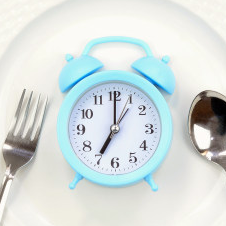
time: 7:00
